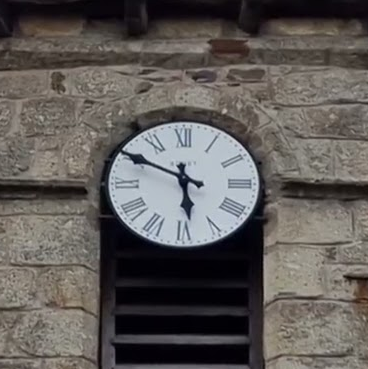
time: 5:49
